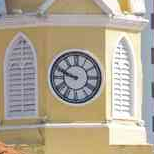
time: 9:48
